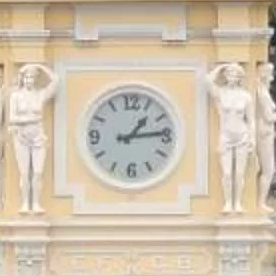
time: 1:13
